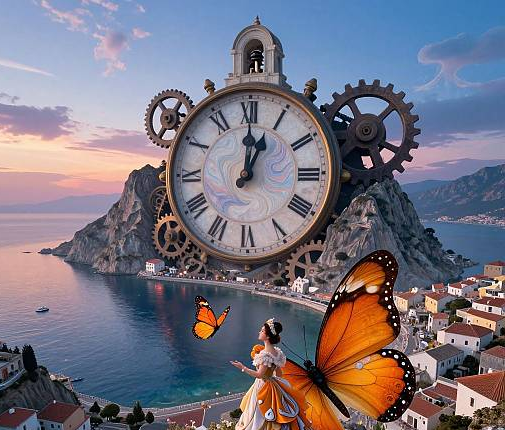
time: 1:00
